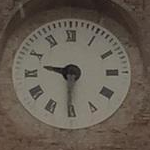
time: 9:30
